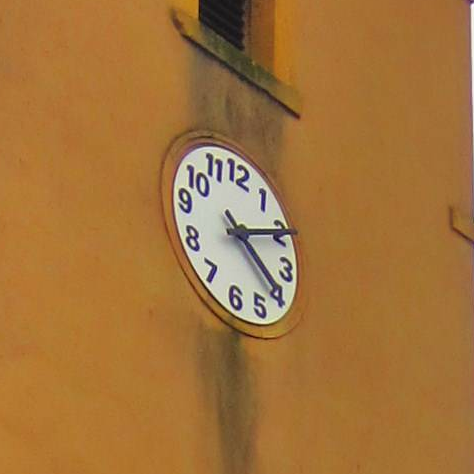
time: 4:10
